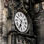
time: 6:34
